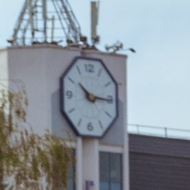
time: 10:15
